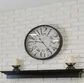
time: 9:23
